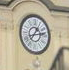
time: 1:13
